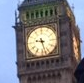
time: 9:27
